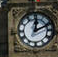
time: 12:10
